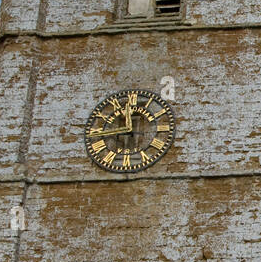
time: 11:44
